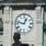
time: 12:47
